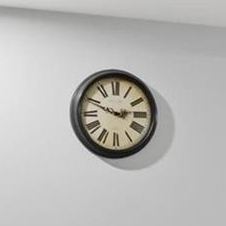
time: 2:48
